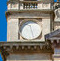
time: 11:26
